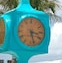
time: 3:27
